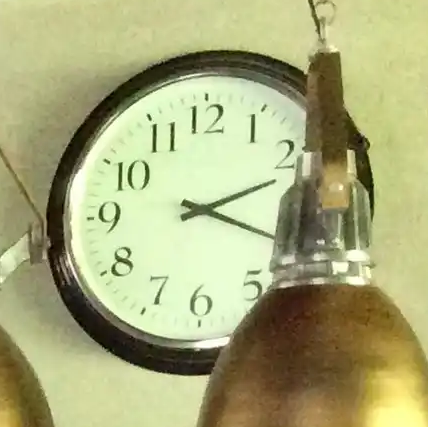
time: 2:19
